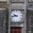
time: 9:43
